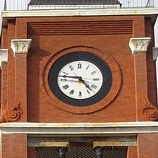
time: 4:46
